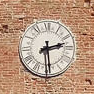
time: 2:29
